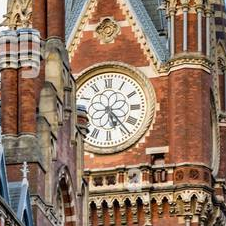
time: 5:23
